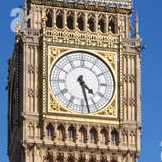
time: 4:27
